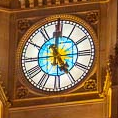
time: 4:59
